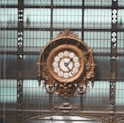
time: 1:24
